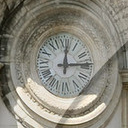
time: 12:14
